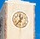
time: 11:36
